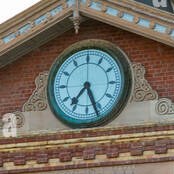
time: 7:26
